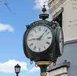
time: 9:07
